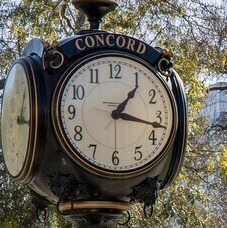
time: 1:17
